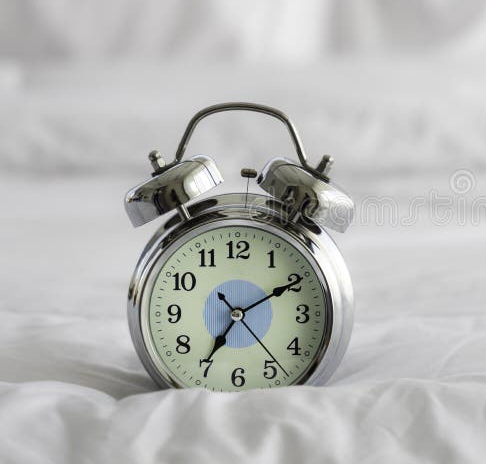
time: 7:10
